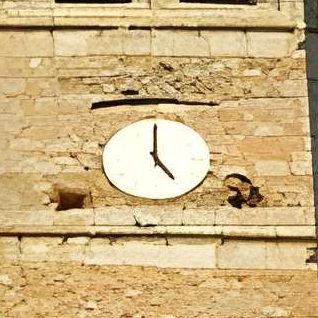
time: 5:00
